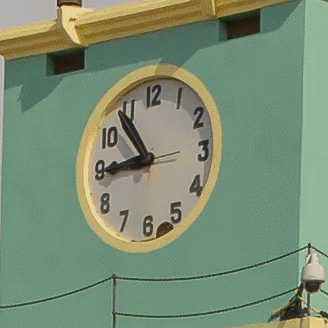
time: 8:53
